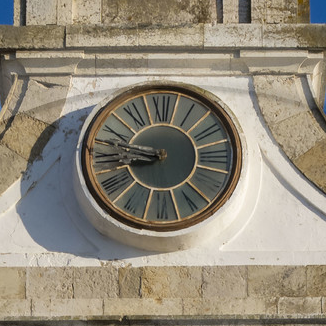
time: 8:47
